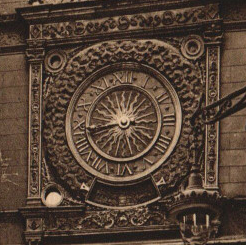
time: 8:43
